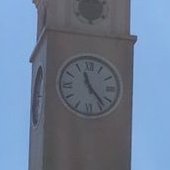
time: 11:23
